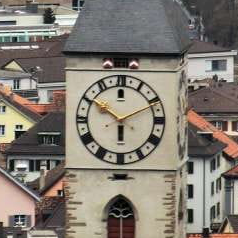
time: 5:50
